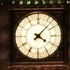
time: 4:07
